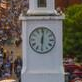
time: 6:01
